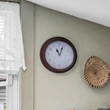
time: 11:03
